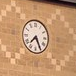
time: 7:25
